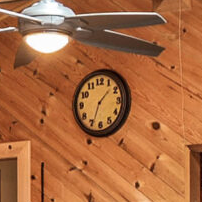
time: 1:33
